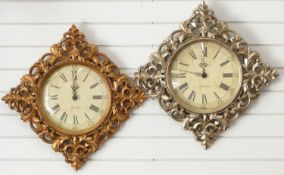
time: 12:00
